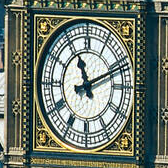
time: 11:11
